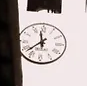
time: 11:38
